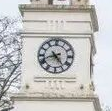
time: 4:42
